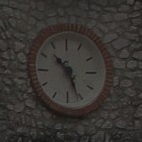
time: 10:26
